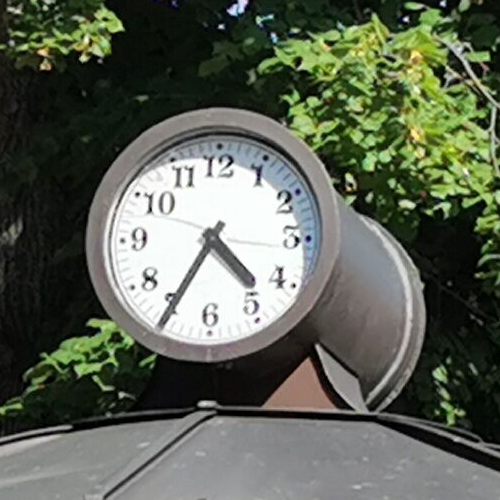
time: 4:35
